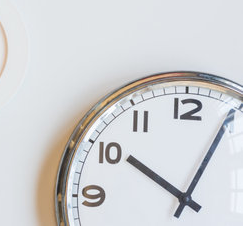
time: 10:05
